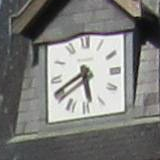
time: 5:40
